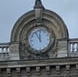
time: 11:55
